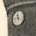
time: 11:46
